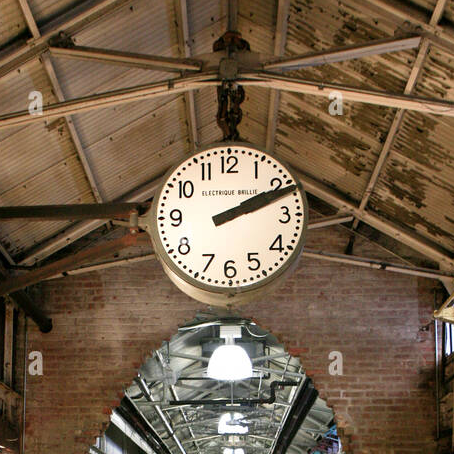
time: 2:11
